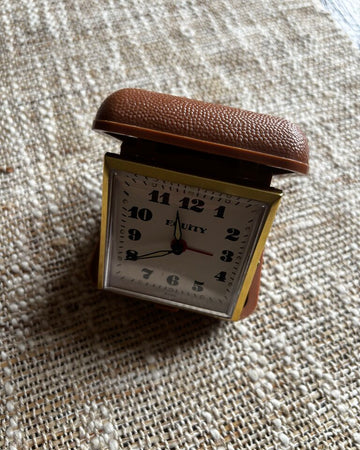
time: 11:40
